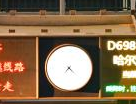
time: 7:21
